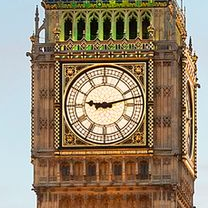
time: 9:12
